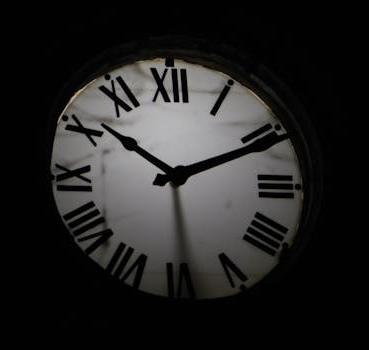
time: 10:11
